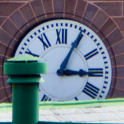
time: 3:04
